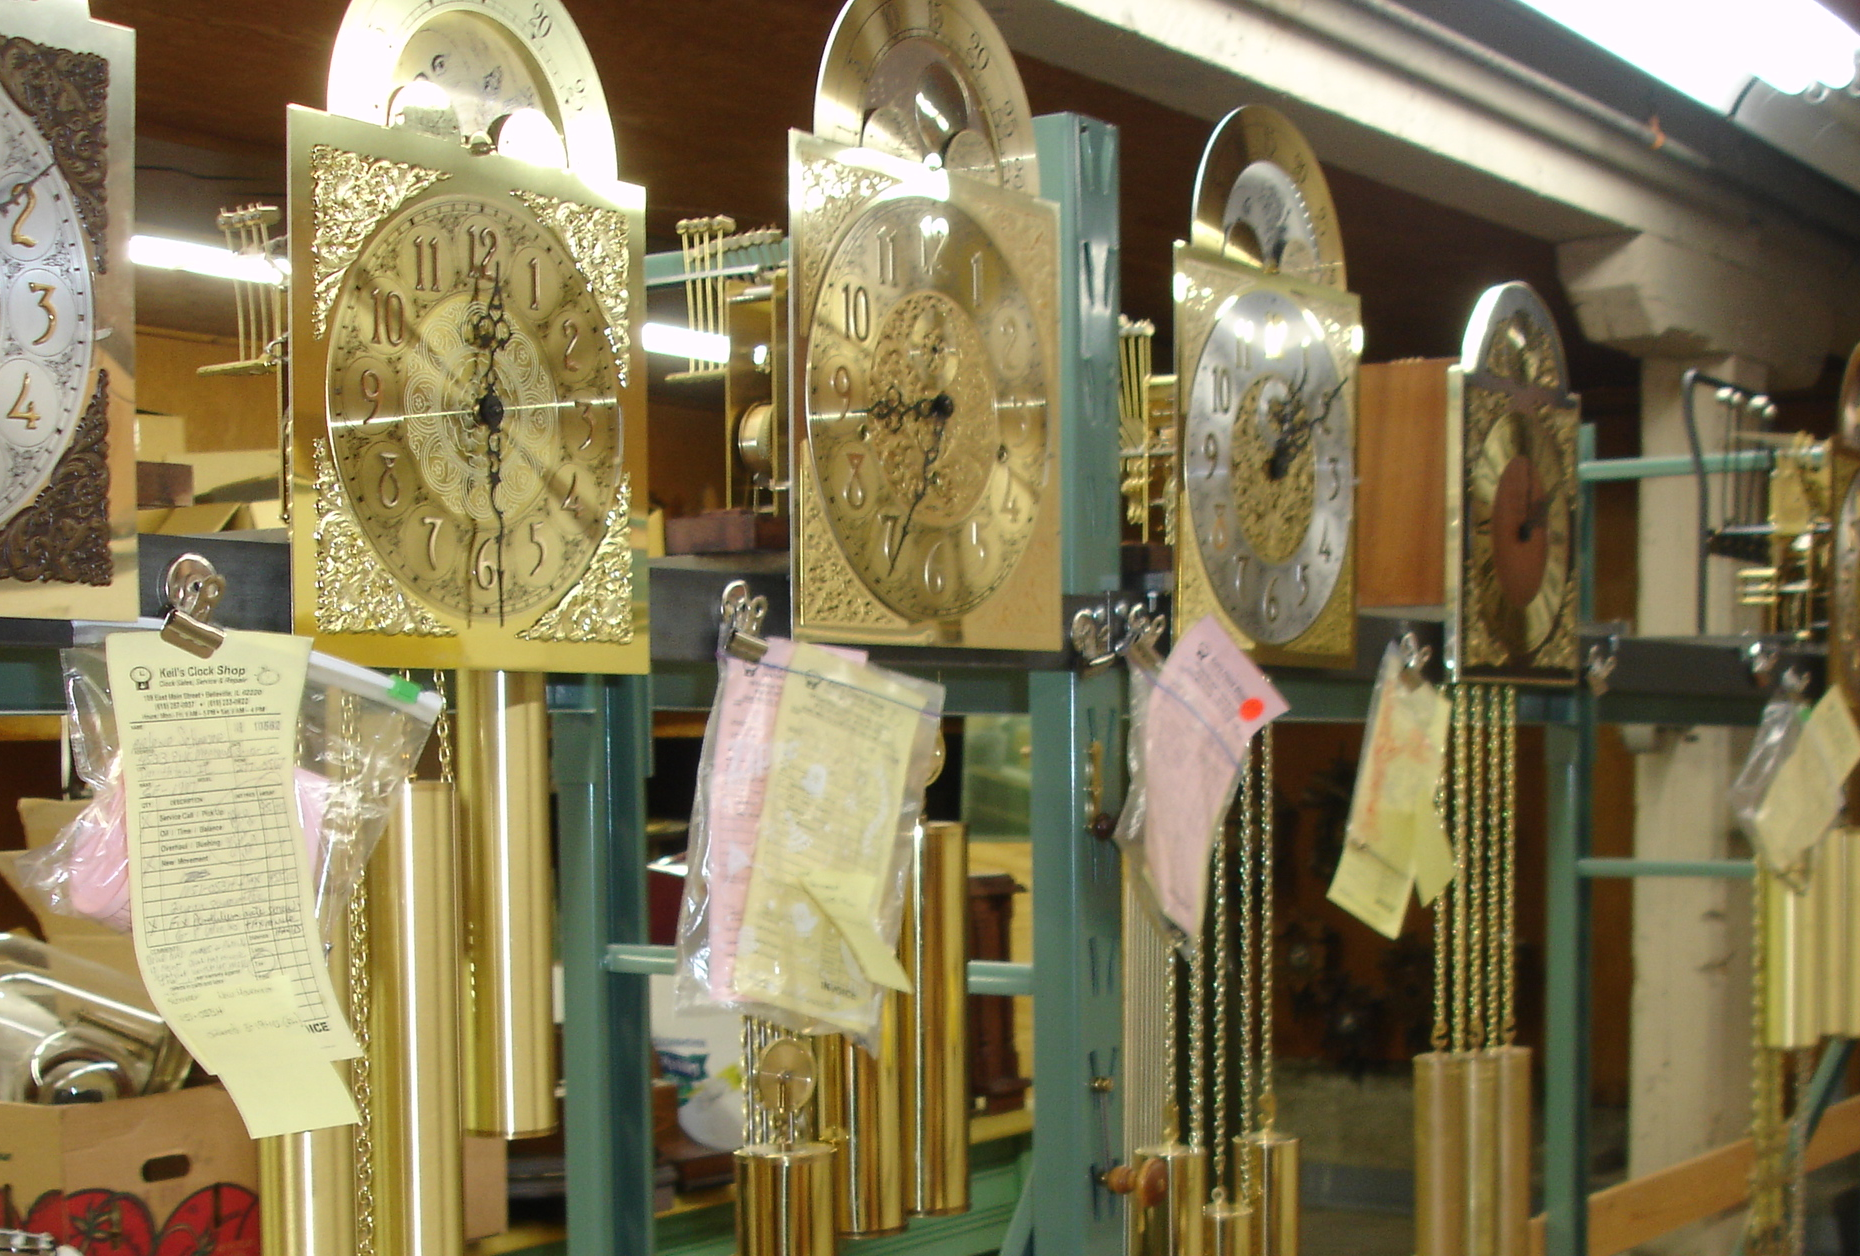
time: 6:44
